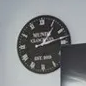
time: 1:13
